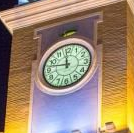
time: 11:46
